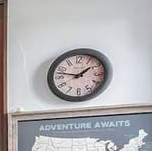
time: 1:47
